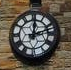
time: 12:12
